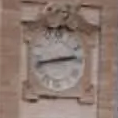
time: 2:42
